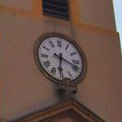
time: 6:18
